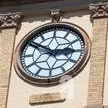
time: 2:50
